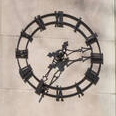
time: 2:35
